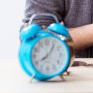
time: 8:06
